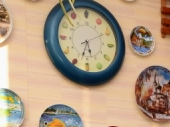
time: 5:33
